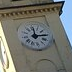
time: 12:14
